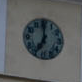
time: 6:59
